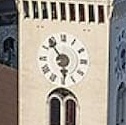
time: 5:53
